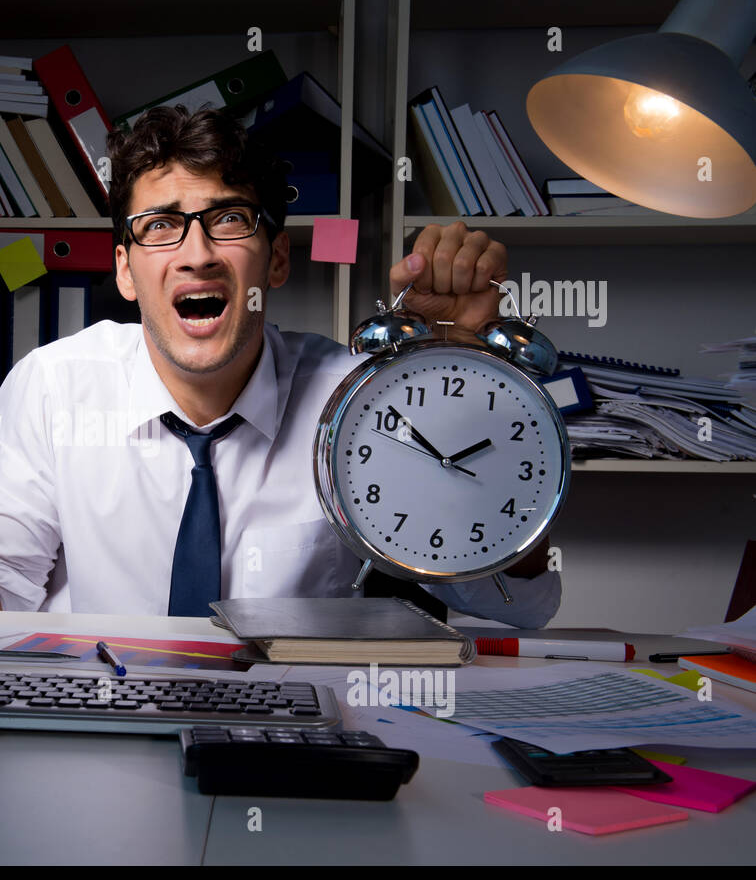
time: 1:51
